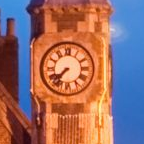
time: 7:37
